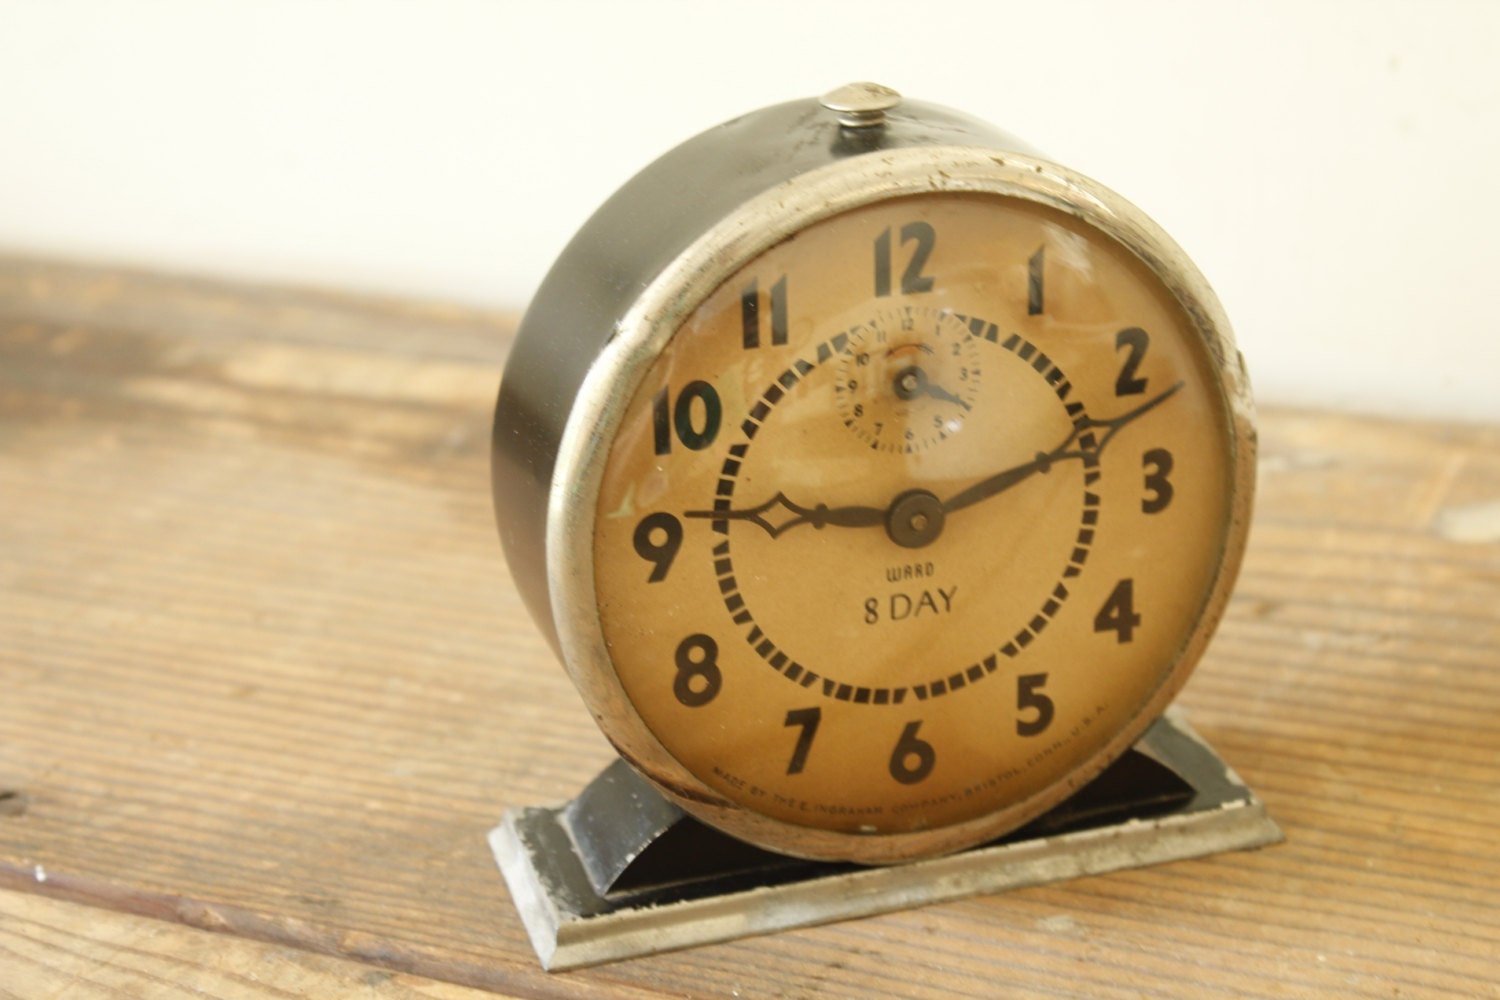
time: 9:11
